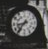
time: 8:36
